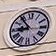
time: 8:53
